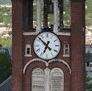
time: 6:52
